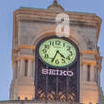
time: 4:33
